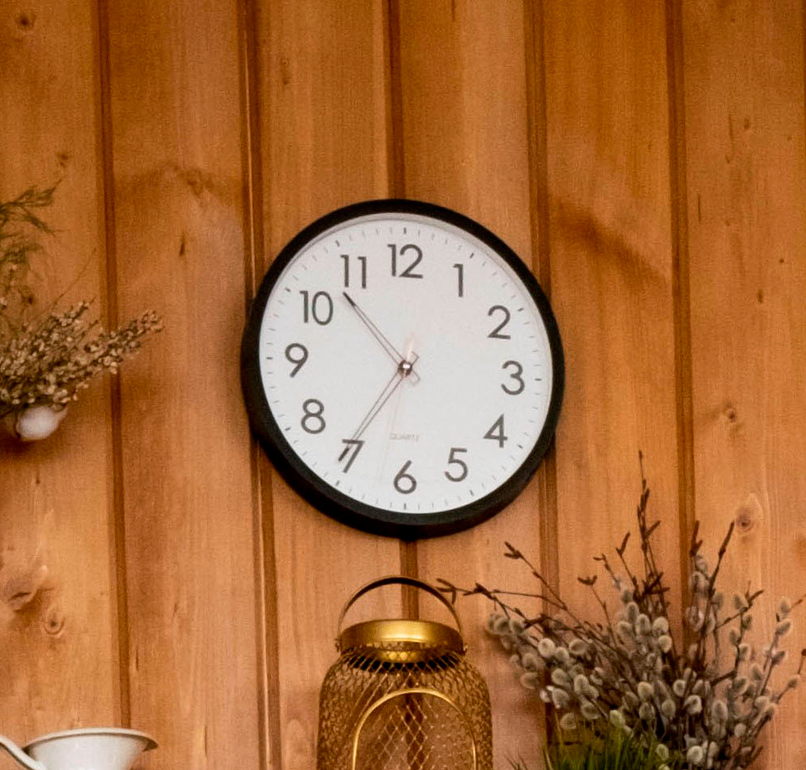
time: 10:35
